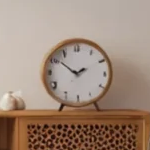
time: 1:51
